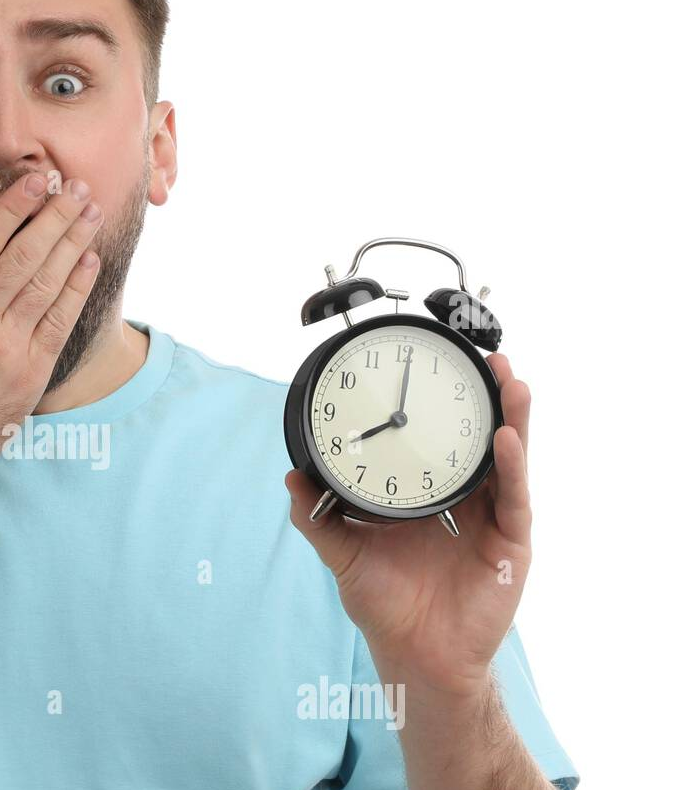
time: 8:01
